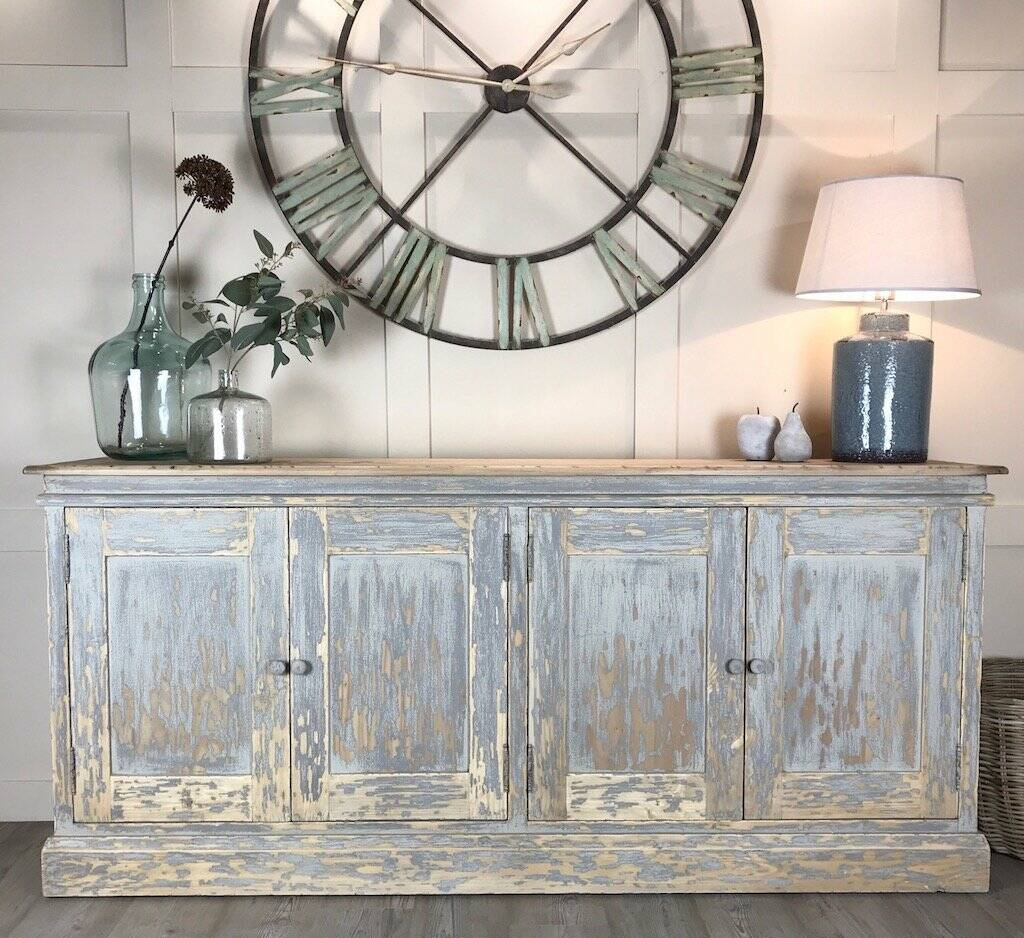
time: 1:36
